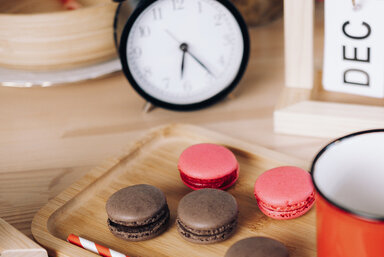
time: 6:23
